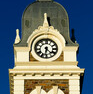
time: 6:21
